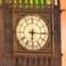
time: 6:15
